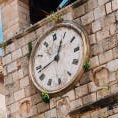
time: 12:42
